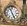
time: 11:25
